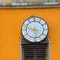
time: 5:47
